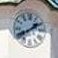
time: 1:40
